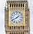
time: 1:40
